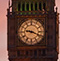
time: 9:18
